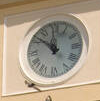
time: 11:51
